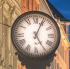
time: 5:04
